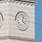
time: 4:02
